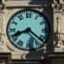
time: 8:21
